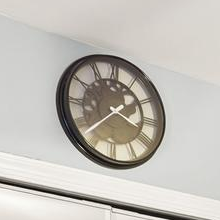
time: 3:38
